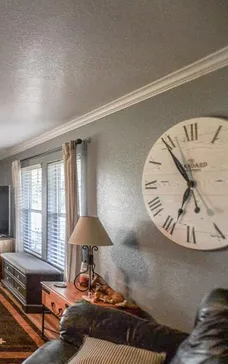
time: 6:54
